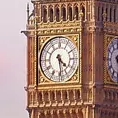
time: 4:28
